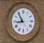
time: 8:54
